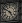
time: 4:50
